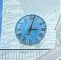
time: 3:02
